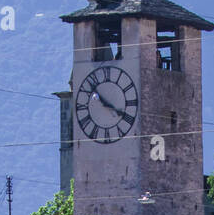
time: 3:52
